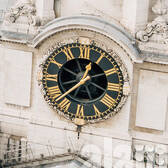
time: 12:49
